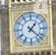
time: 1:21
